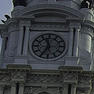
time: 11:35
